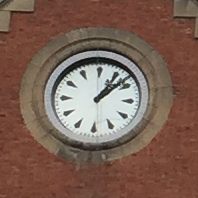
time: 1:08
